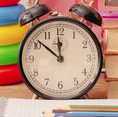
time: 11:51
